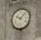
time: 10:07
